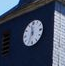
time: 11:34
